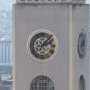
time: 2:06
